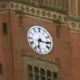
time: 6:15
